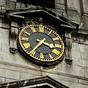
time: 3:37
